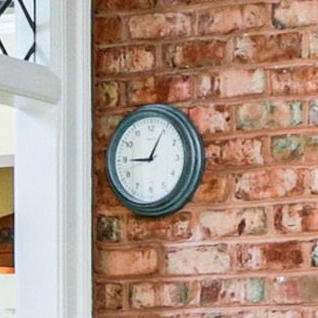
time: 9:04
